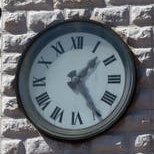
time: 1:24
